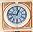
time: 12:46
